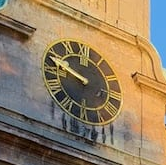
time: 9:48
